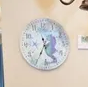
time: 5:34
